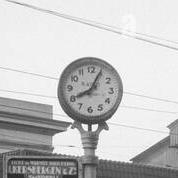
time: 8:04
